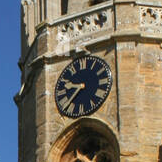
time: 9:36
